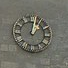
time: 1:02
